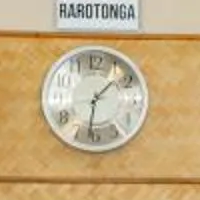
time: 1:32
